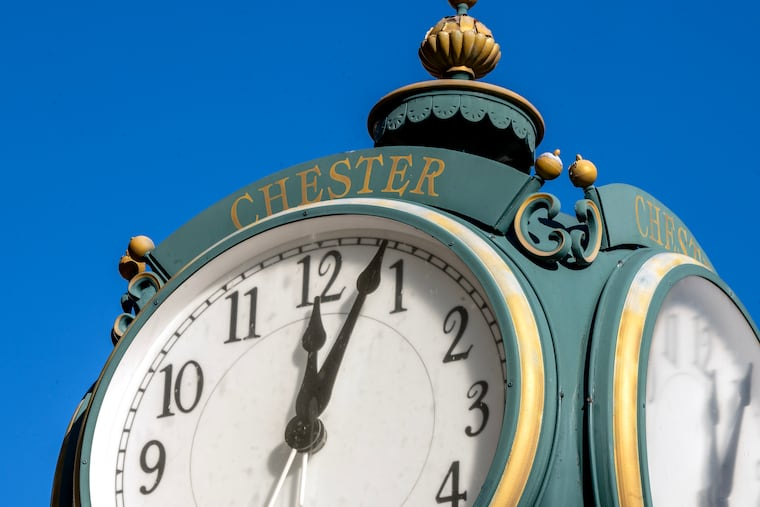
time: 12:03
